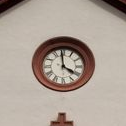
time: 3:58
